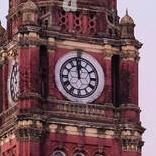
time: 11:58
